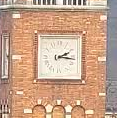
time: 2:16
